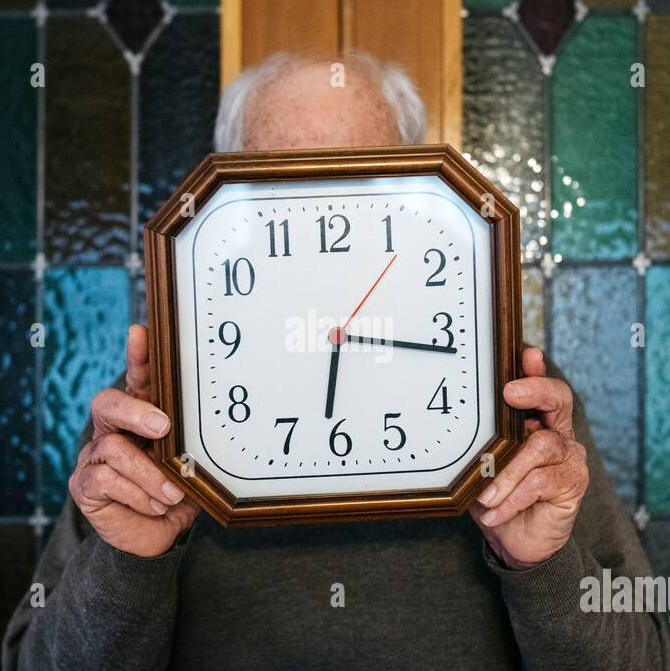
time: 6:16
